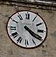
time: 4:19
